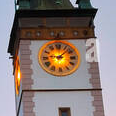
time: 9:07
